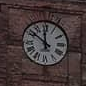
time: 11:51
